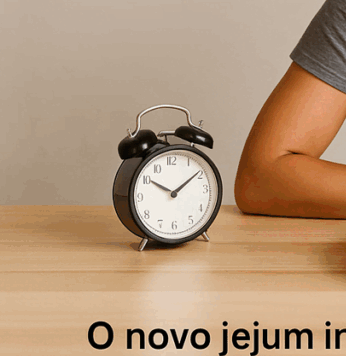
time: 10:09
